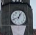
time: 12:41
